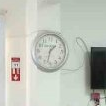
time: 1:32
